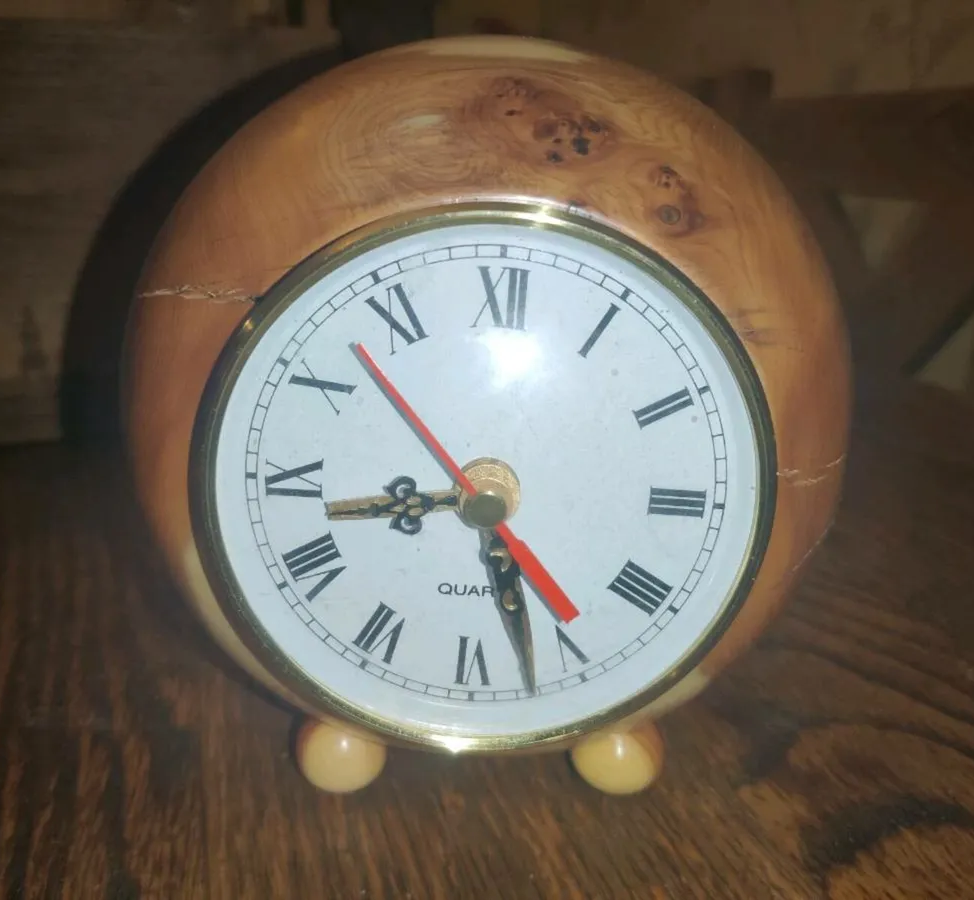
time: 8:27
